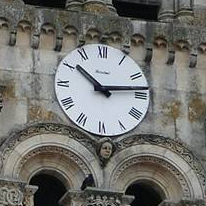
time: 10:13
